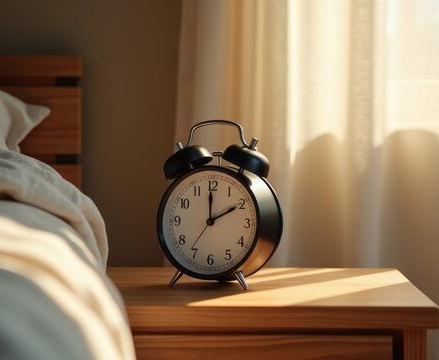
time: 1:59
